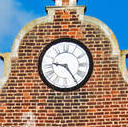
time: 9:24
